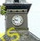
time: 9:43
